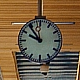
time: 9:54
